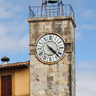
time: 4:22
